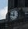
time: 11:46
